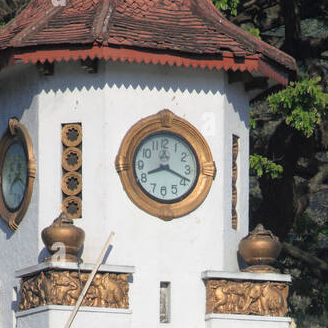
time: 8:18
